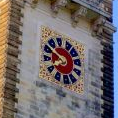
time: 7:49
